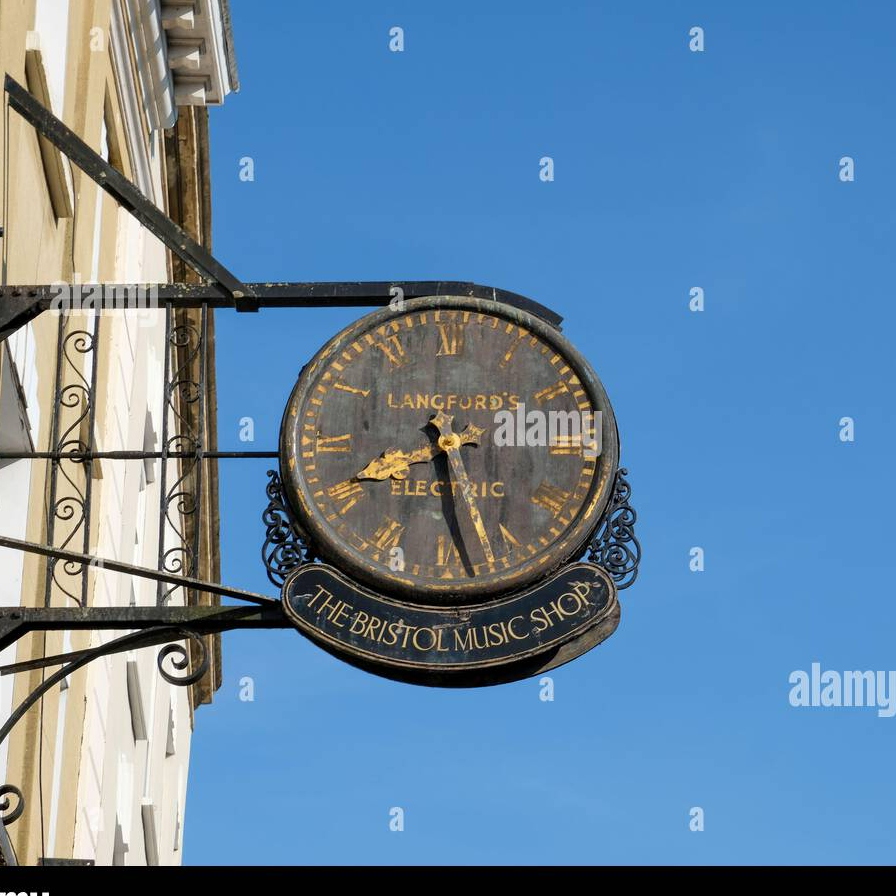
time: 8:27
